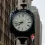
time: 7:42
